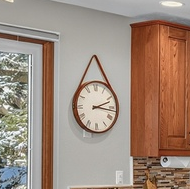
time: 2:16
